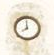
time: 7:59
